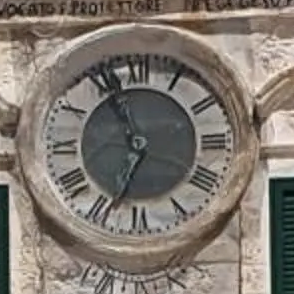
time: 6:56
